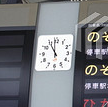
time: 10:58
